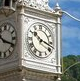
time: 10:17
